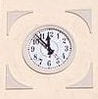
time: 11:52
